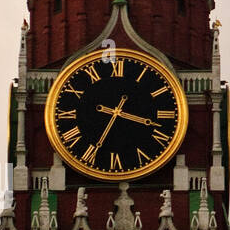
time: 3:34
